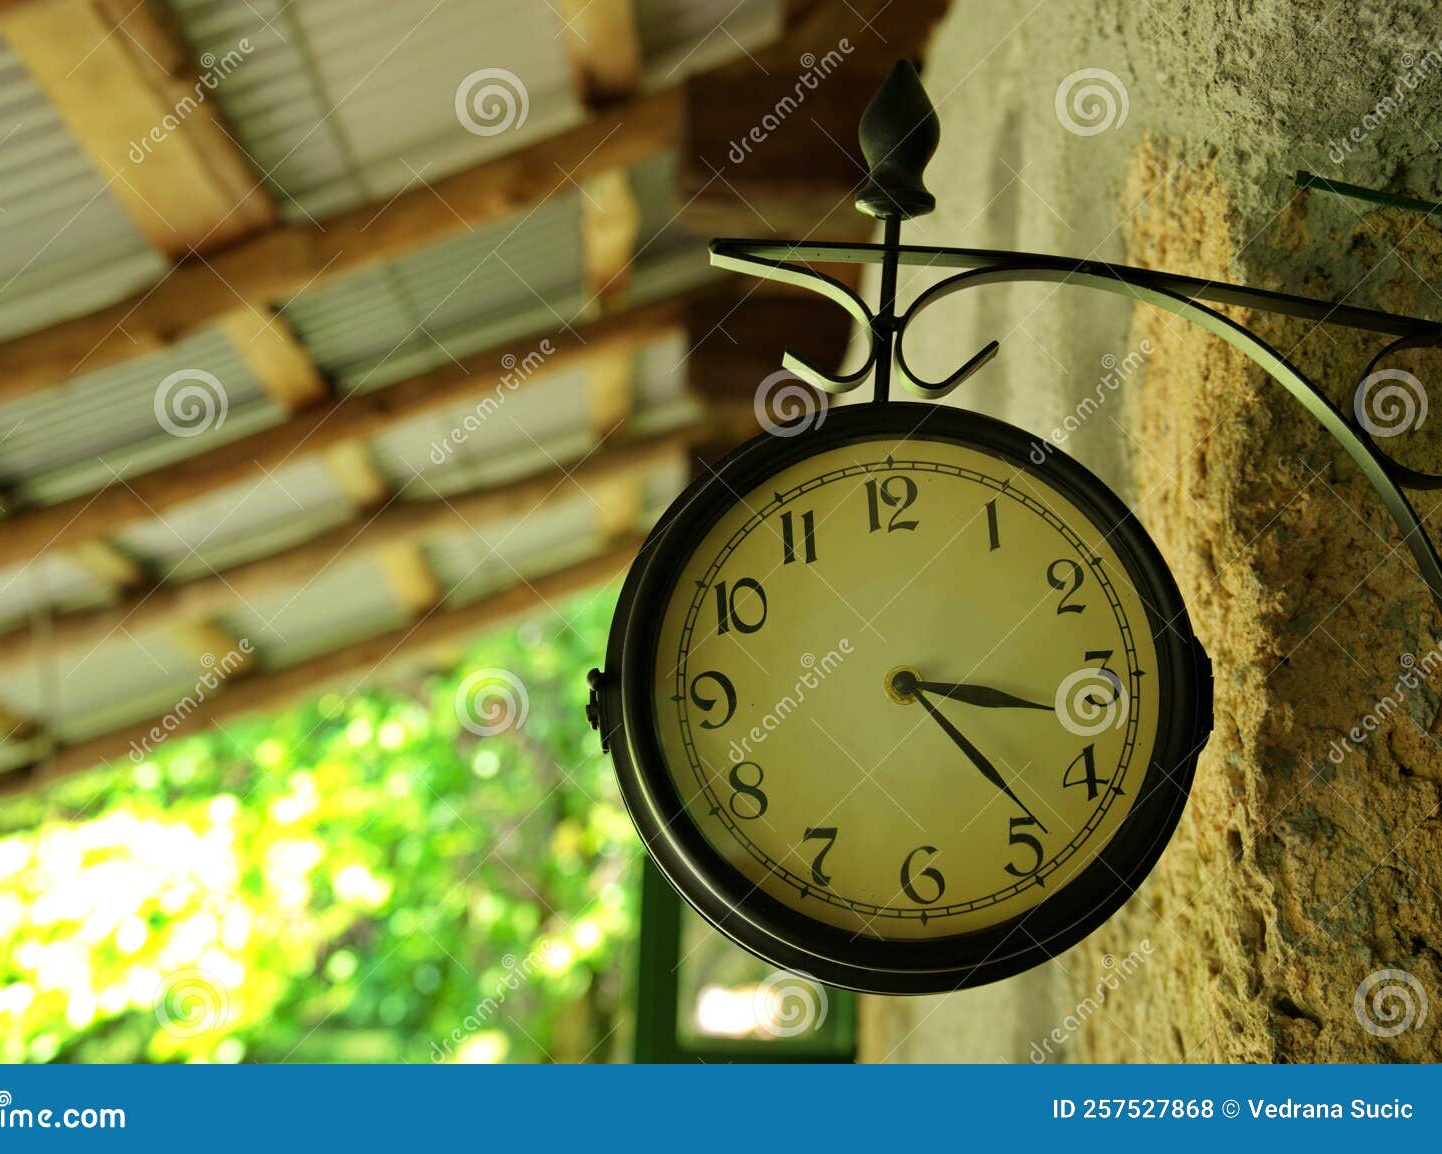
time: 3:23
